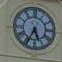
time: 5:34
